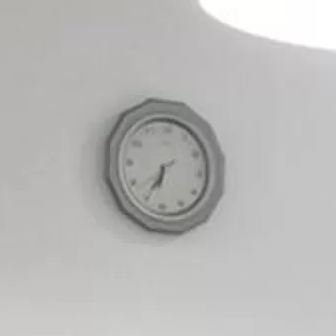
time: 6:35
